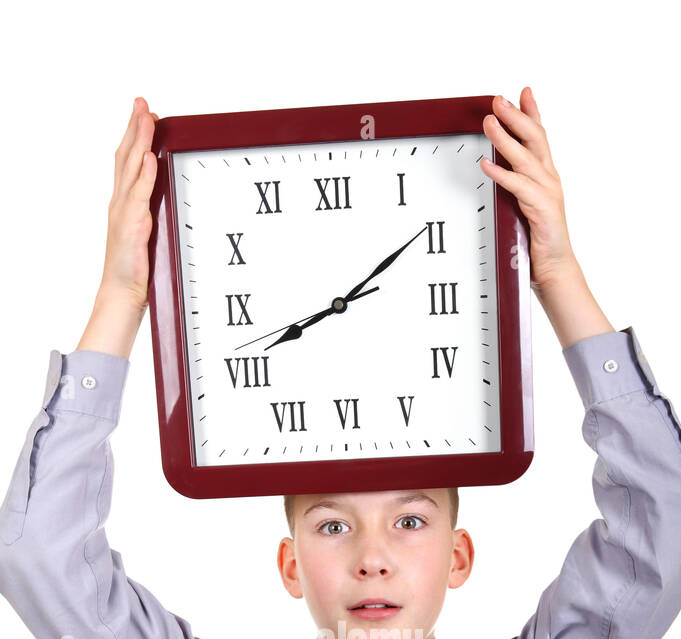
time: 8:09
